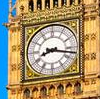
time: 8:17
